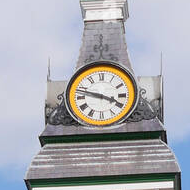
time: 3:47
